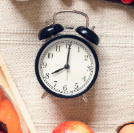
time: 8:00
